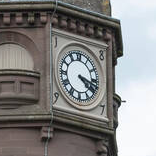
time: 4:17
